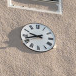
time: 9:42
